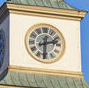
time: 2:30
